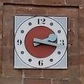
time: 2:17
